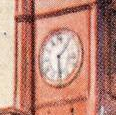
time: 1:28
